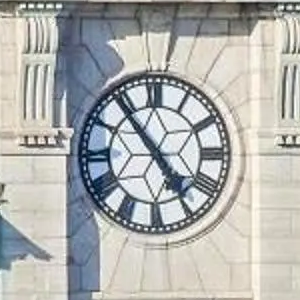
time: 4:53
